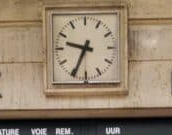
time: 9:34
